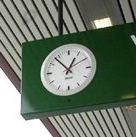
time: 12:53
